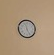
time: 11:25
